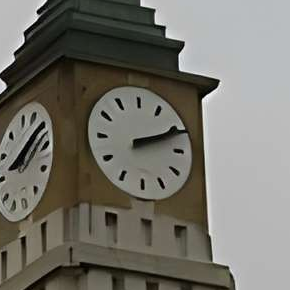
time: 2:11
